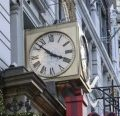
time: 3:52
